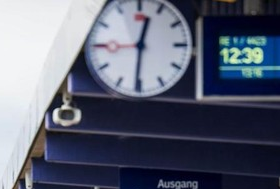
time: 12:30
